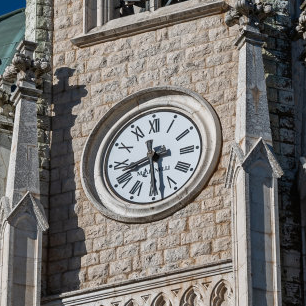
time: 8:29
